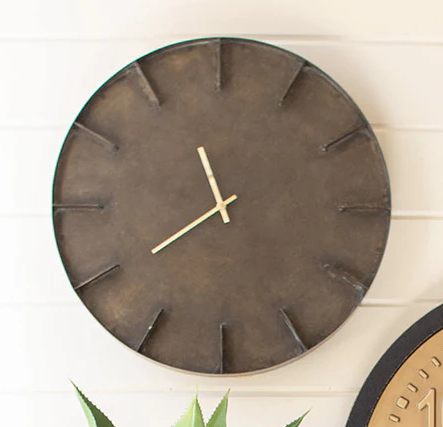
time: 11:39
